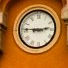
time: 2:45
